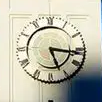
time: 5:16
